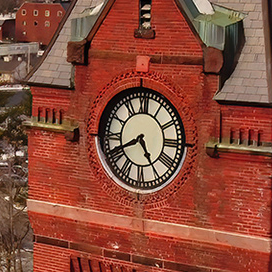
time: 4:40
